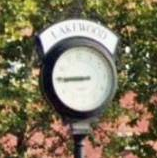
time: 8:45
